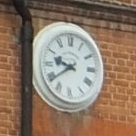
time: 9:39
